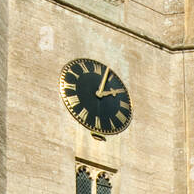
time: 2:04
